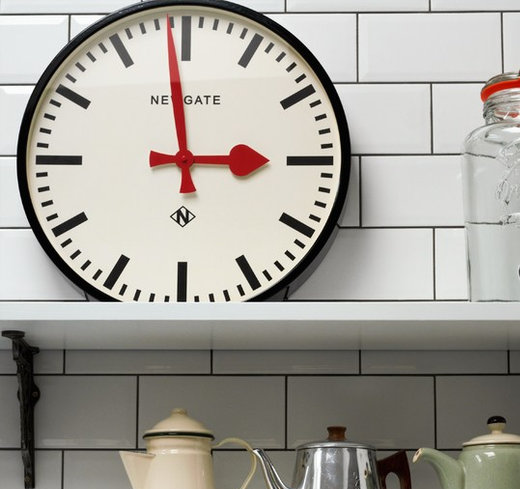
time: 2:58
